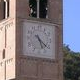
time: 5:21
